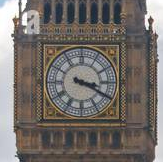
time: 3:19
